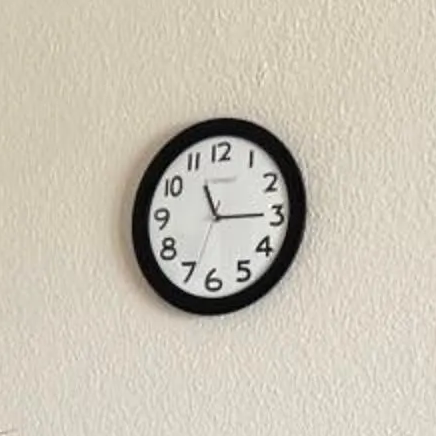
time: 11:14
